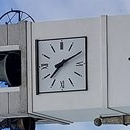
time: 7:10
